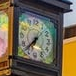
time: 6:37
